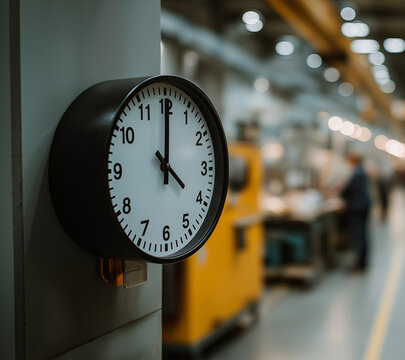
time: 4:00
